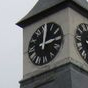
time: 12:13
